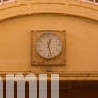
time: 12:27
